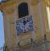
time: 12:07
